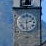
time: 2:29
